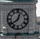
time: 12:38
